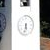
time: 5:32
